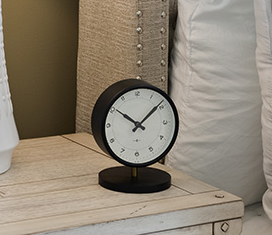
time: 10:08
